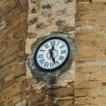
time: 12:26
